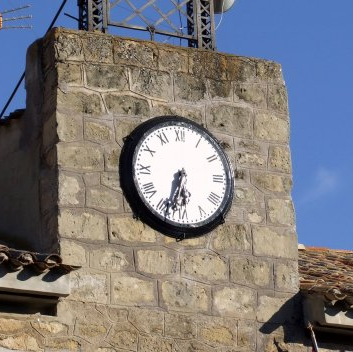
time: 5:32
